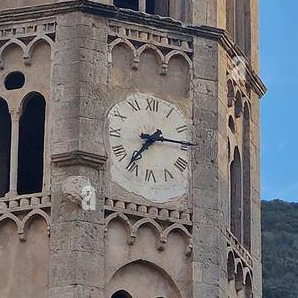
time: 7:14
